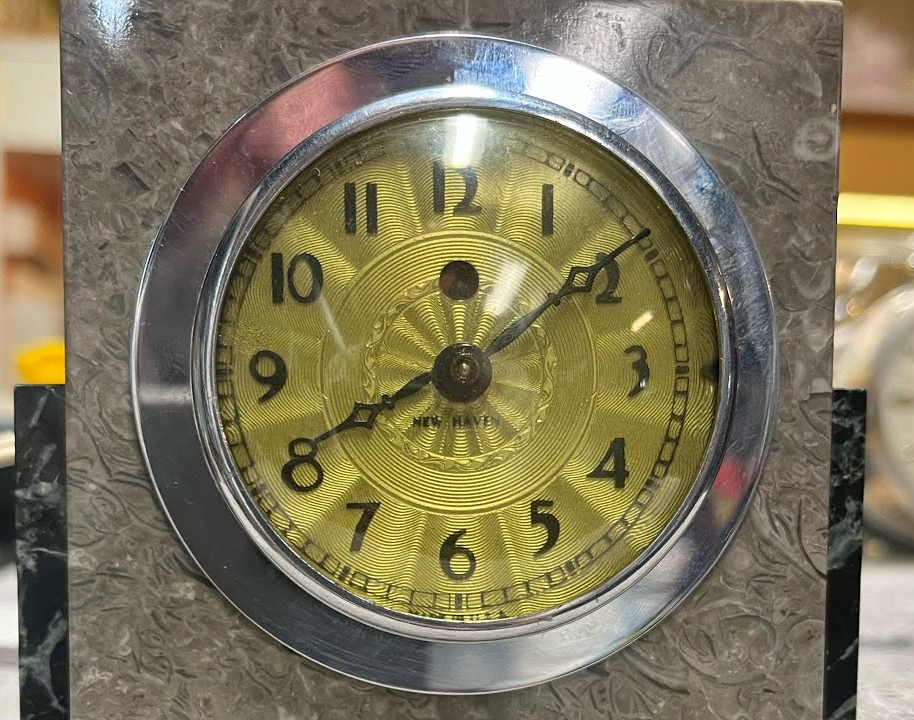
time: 8:09
